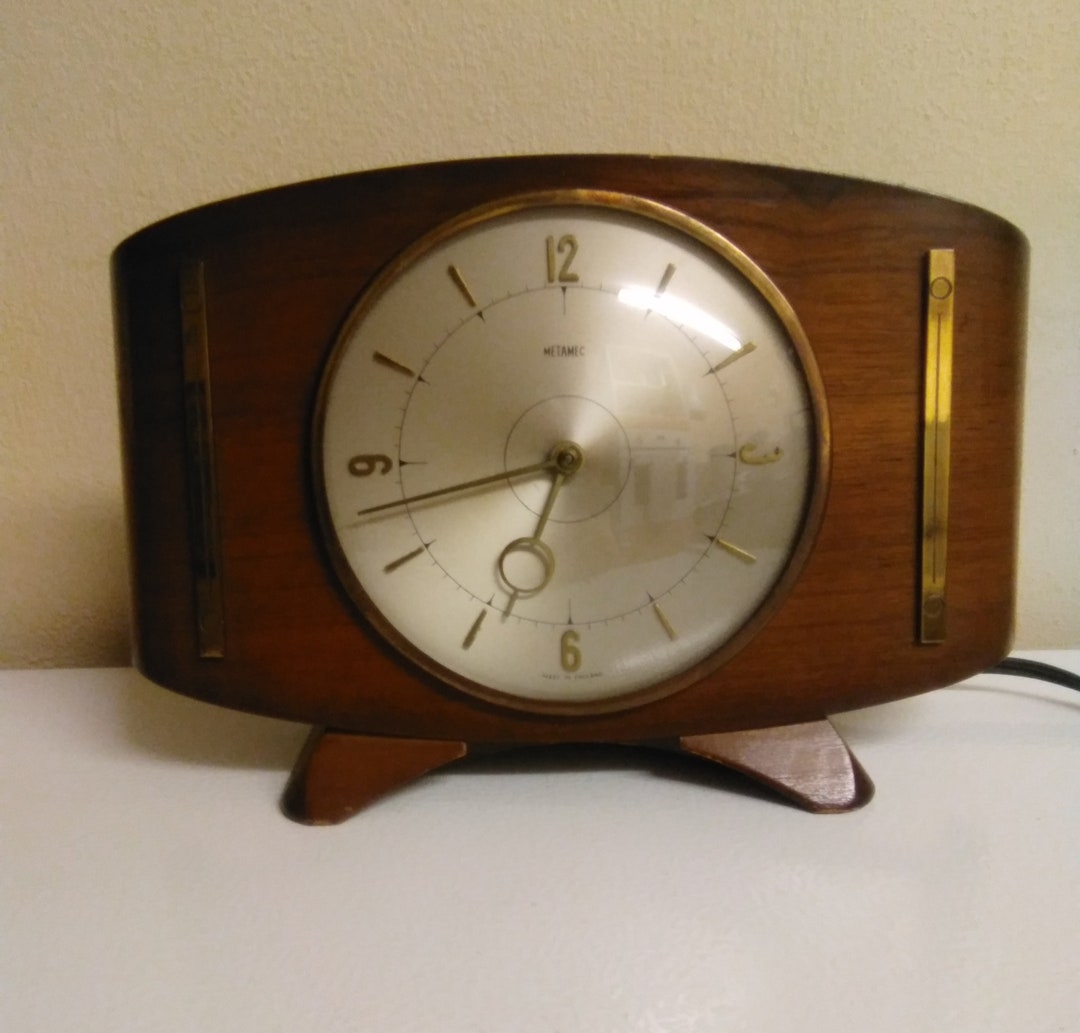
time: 6:42
